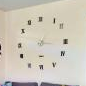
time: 1:16
